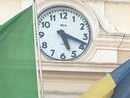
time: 5:18
